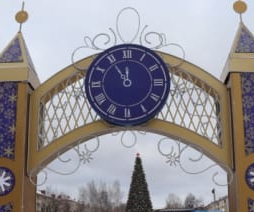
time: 11:54
